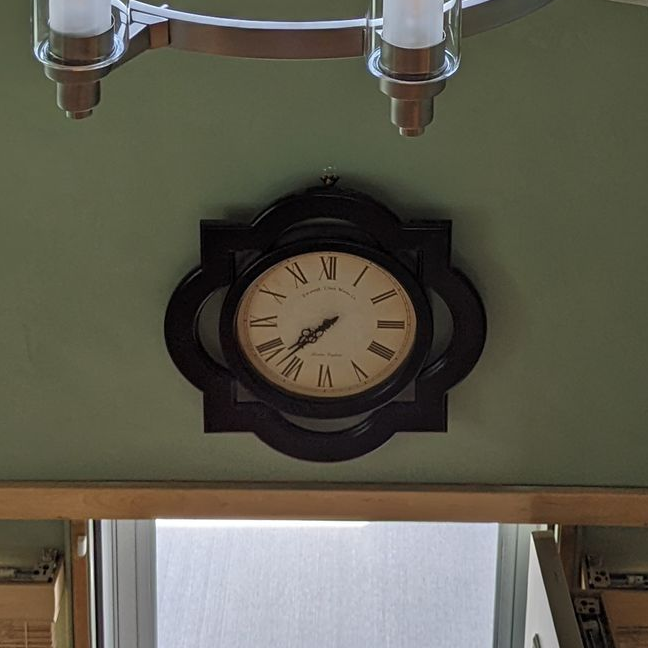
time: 7:36
